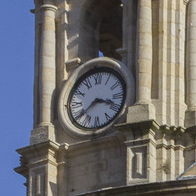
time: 3:39
